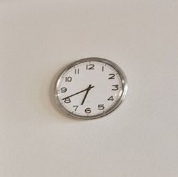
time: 6:41
